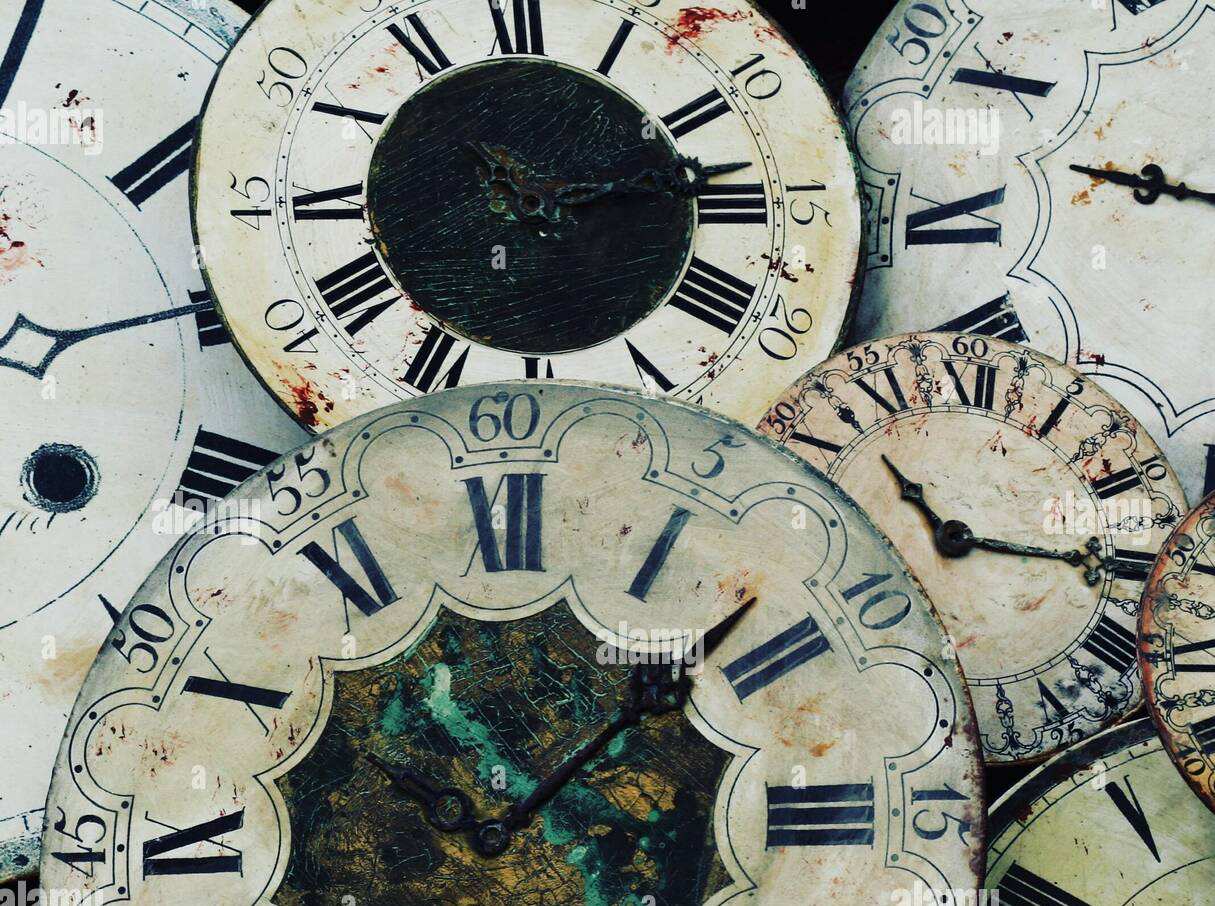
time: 11:13
